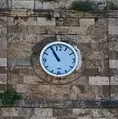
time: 10:55
